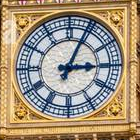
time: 3:04
